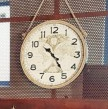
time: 10:24
